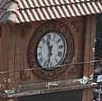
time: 11:32
